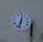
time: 12:32
